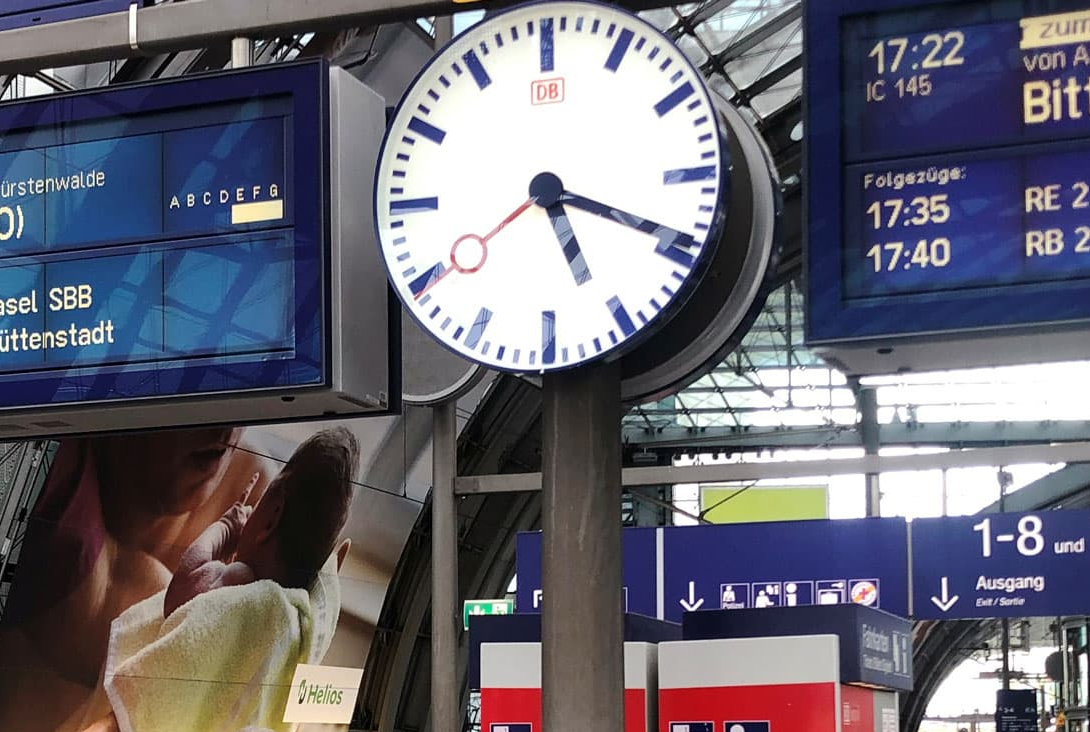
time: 5:19
